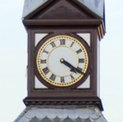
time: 4:20
